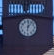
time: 6:06
